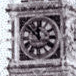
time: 11:52
